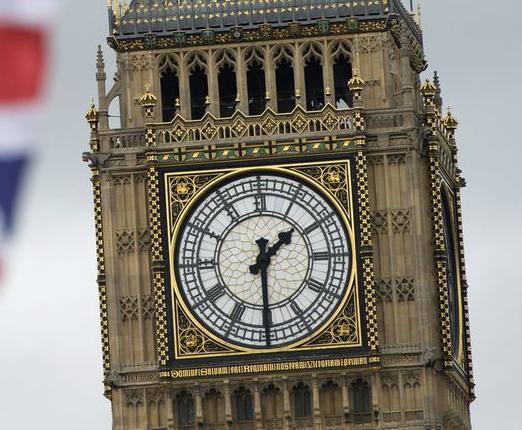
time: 1:29
